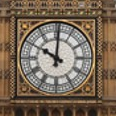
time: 10:00
